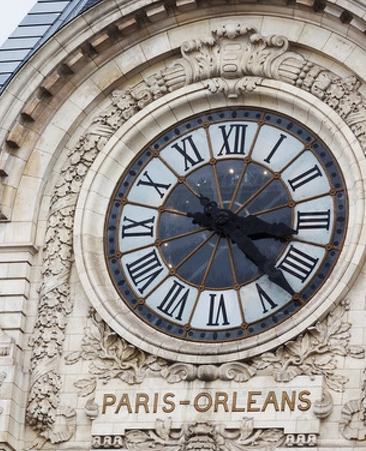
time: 3:22
